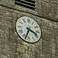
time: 3:33
